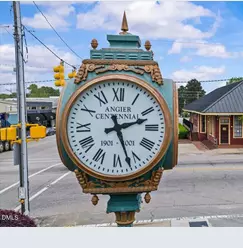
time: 2:26
